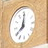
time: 8:01
